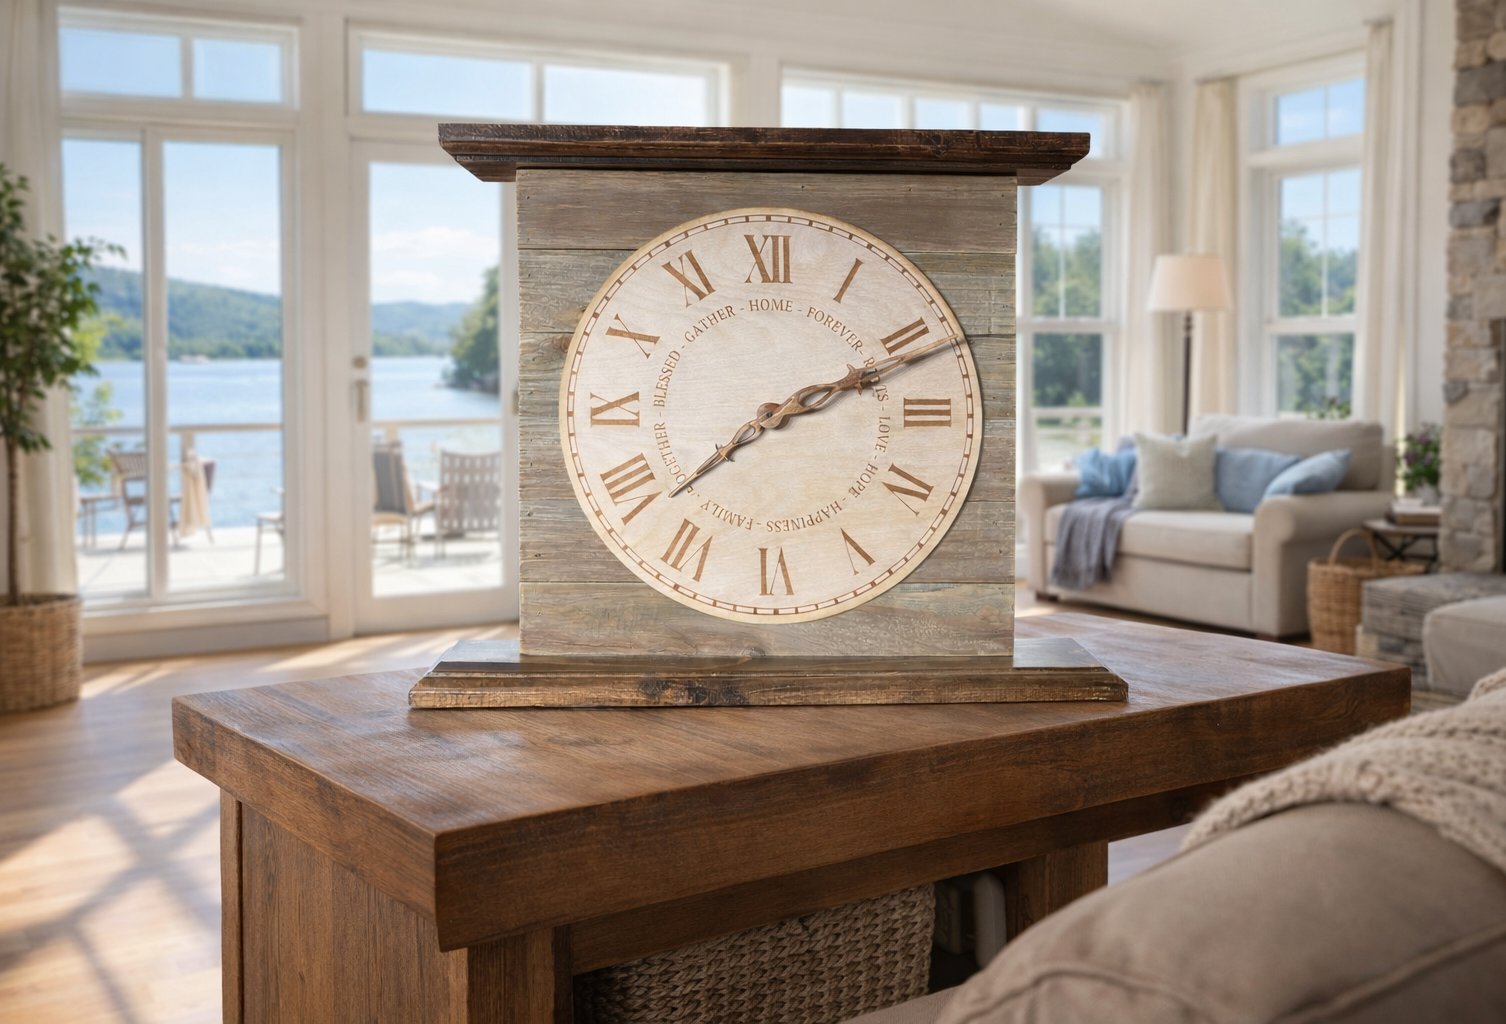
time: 2:11
